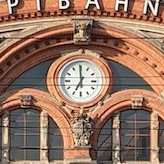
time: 6:59
